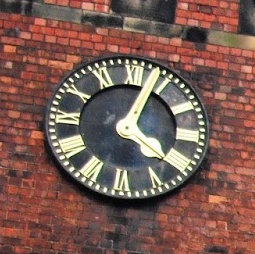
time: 4:04
